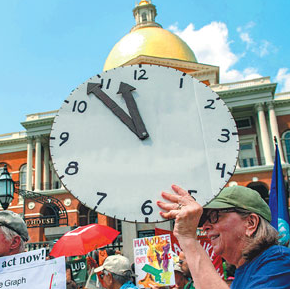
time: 10:57
